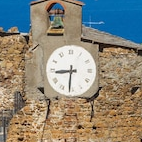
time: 8:31
